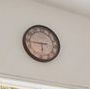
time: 5:44
